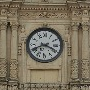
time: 3:40
